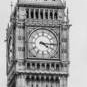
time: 4:15
